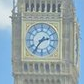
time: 2:36
